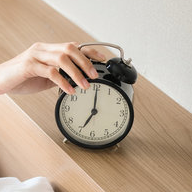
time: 7:00
